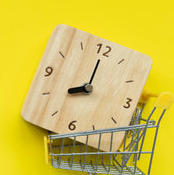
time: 8:00
